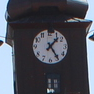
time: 1:24
